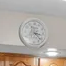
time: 3:22
